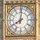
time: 8:01
